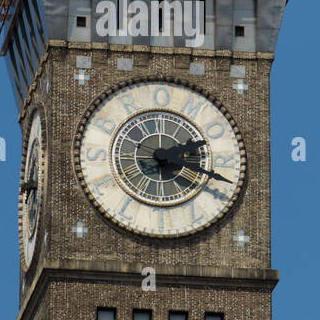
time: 2:18
